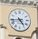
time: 4:43
